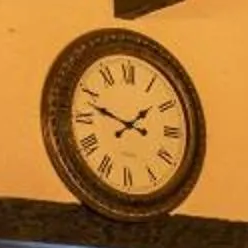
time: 1:47
